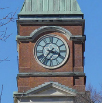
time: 3:36
